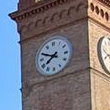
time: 7:49
